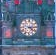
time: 4:14
